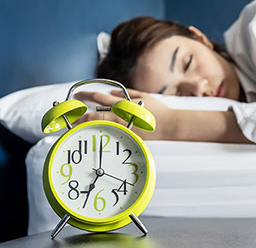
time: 7:00
